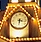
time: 3:31
